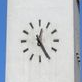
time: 12:24
